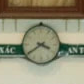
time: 3:39
